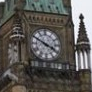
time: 3:49
